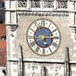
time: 5:14
